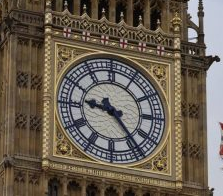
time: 9:23
